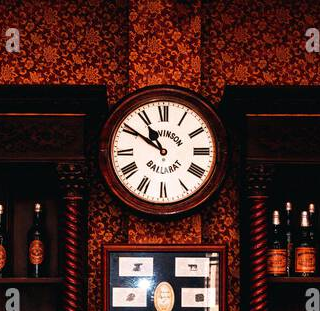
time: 10:50
